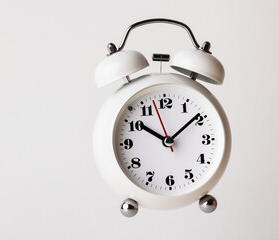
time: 10:08
